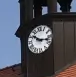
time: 10:17
